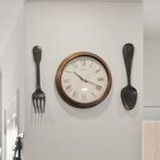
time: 10:18
